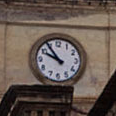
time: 9:54
